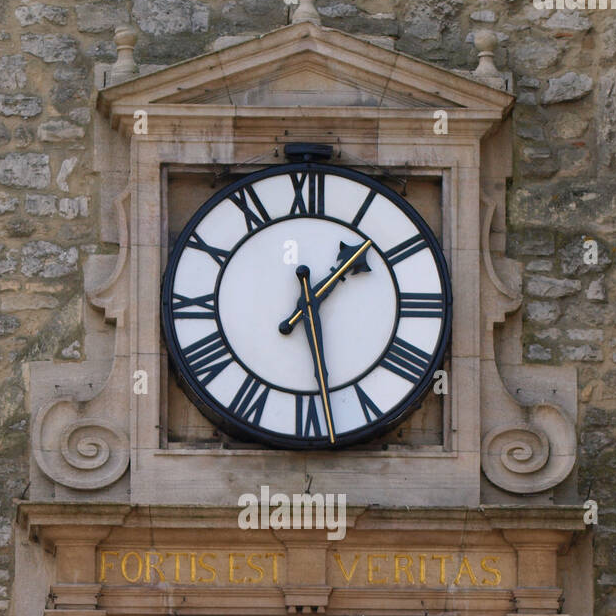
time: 1:28
